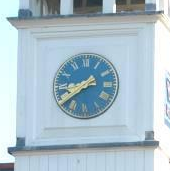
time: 8:38
